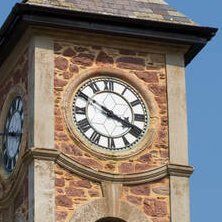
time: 3:50
